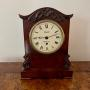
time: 9:12
